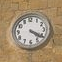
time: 4:20
